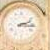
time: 2:16
